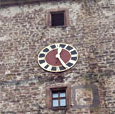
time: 12:24
